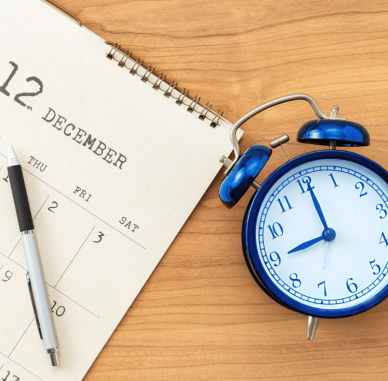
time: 9:01
